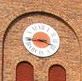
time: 3:43
